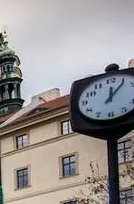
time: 12:06
